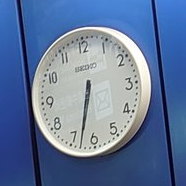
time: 6:32
